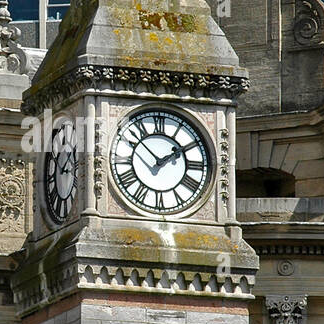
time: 1:52
